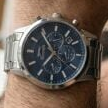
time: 6:54
